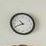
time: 10:41
